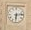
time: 6:13
